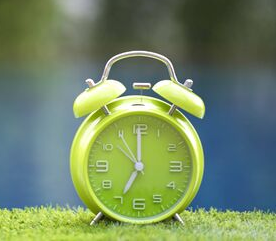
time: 7:00
